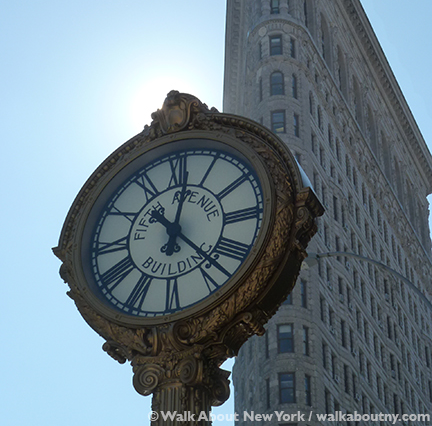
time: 12:22
